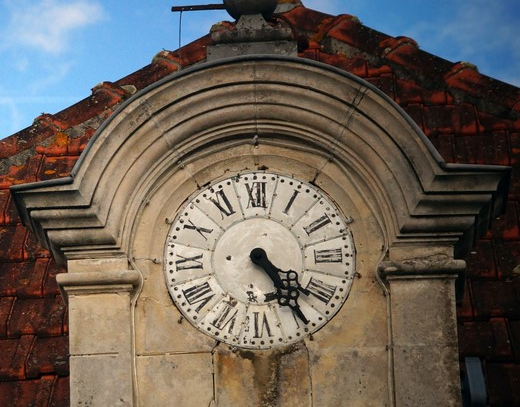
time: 4:24
